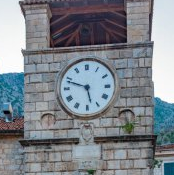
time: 5:48
